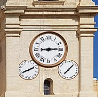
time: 9:14
